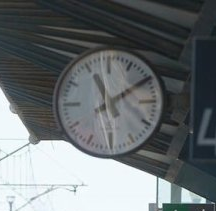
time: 11:09
